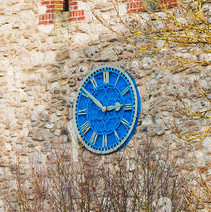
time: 2:51
